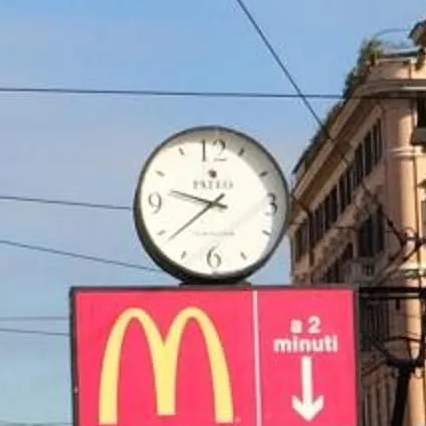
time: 9:38
